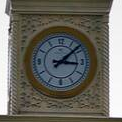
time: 3:08
